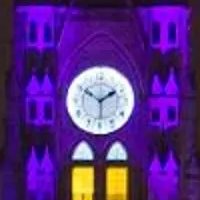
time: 1:50
